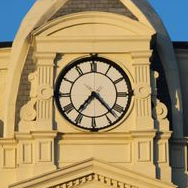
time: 7:23
